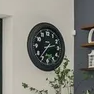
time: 2:36
